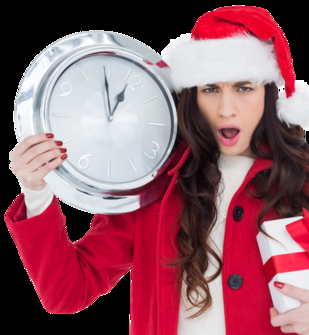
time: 12:59
